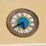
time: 5:40
